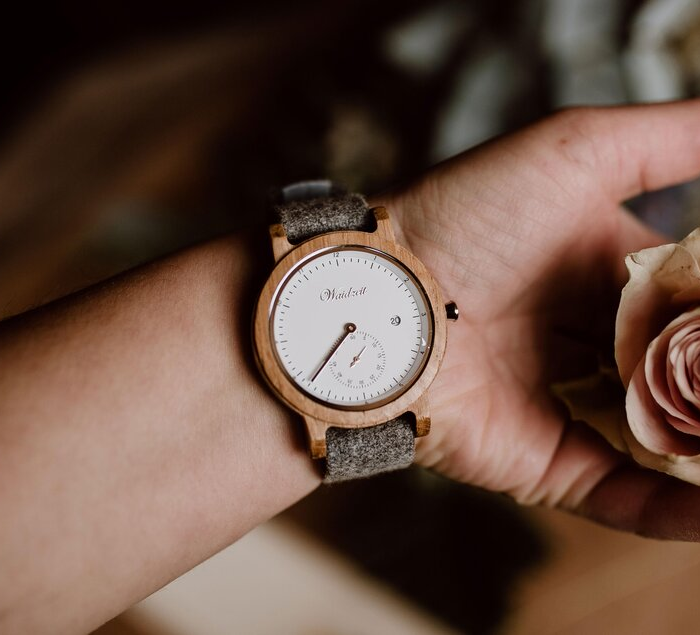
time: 7:37
